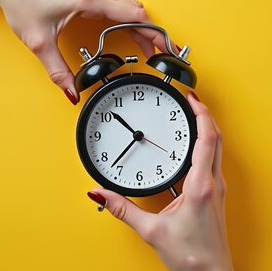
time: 10:36
